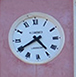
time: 4:39
